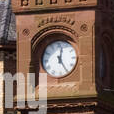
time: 12:25
